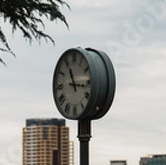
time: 11:15
